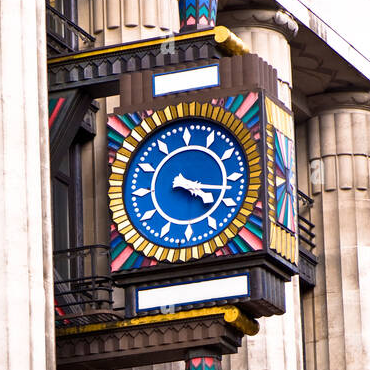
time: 4:17
